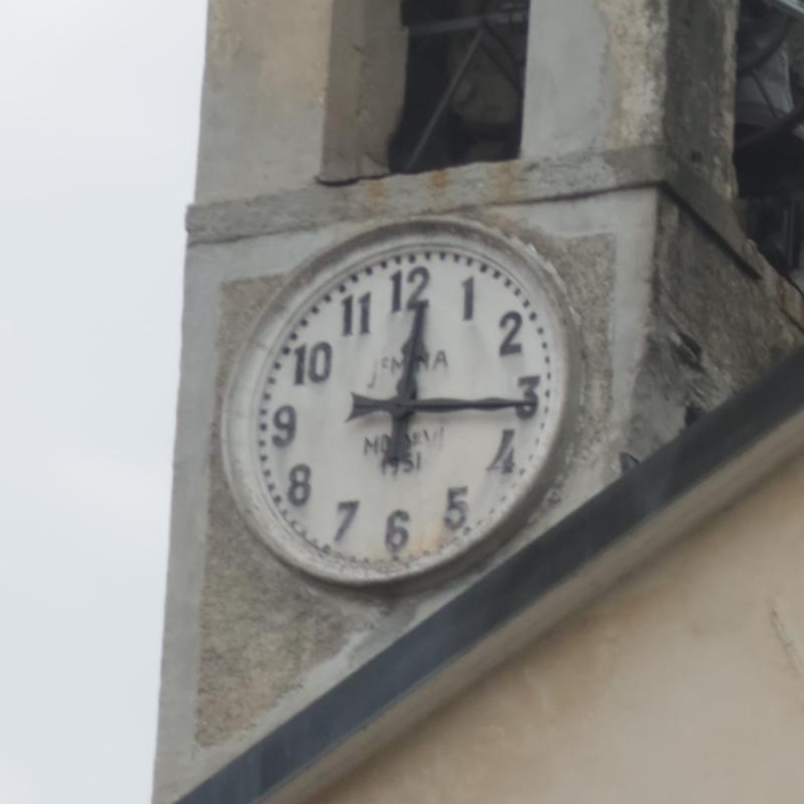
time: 12:16
